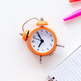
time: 6:55
